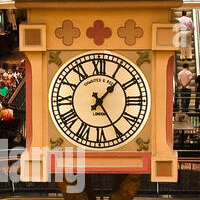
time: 1:24
